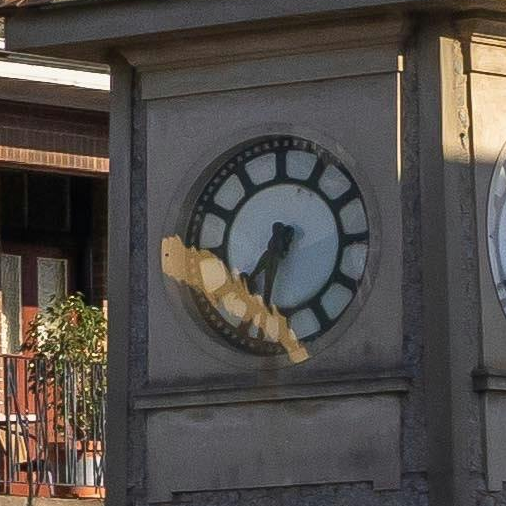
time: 7:32
